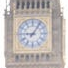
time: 9:05
